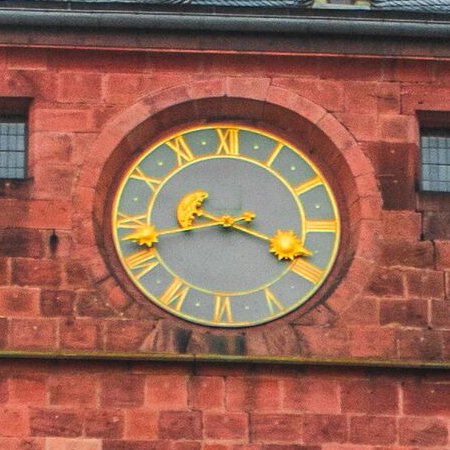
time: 8:18
